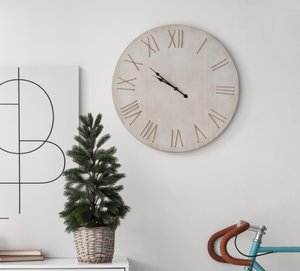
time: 9:50
